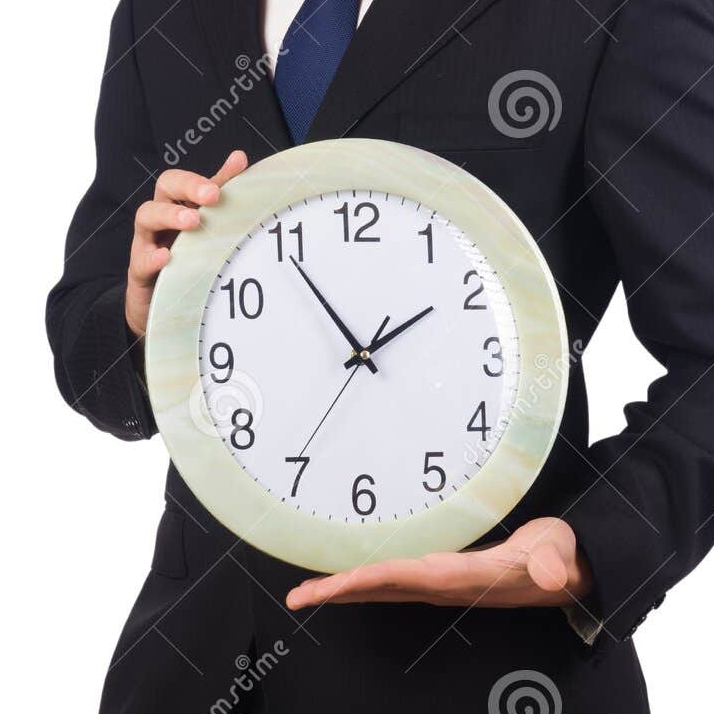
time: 1:54
